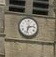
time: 2:32
